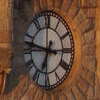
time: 6:47
